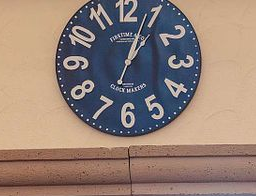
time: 1:03
